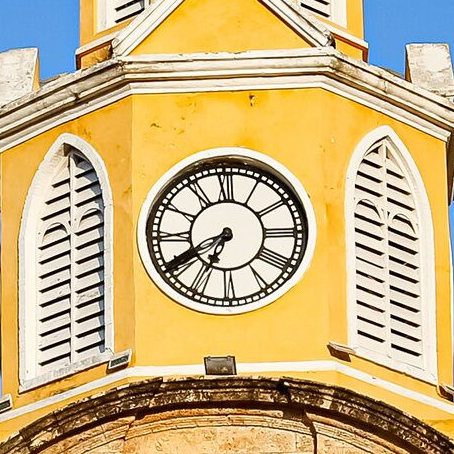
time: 6:40
